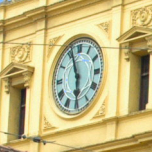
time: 5:56
